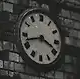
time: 3:42
